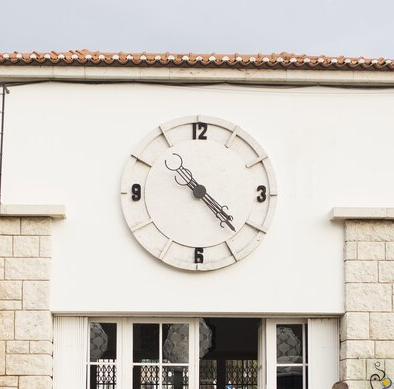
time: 4:22
